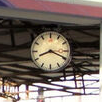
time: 8:19
